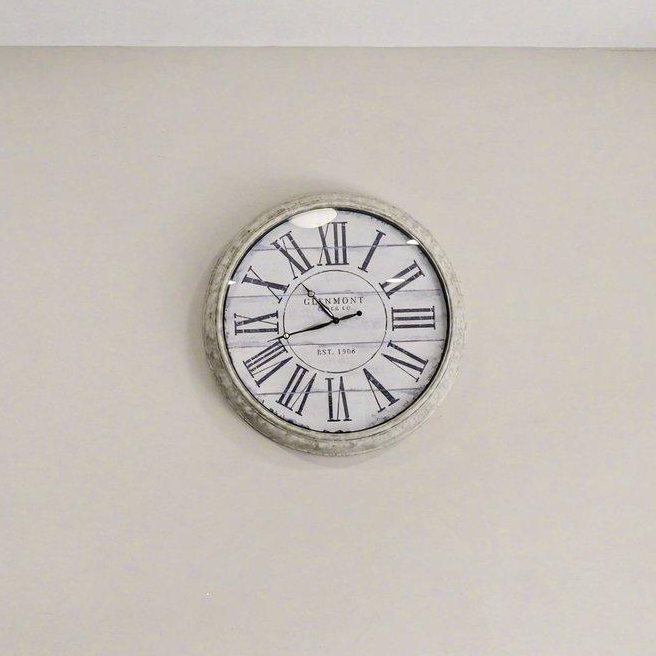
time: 10:42
